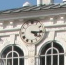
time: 4:16
